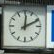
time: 12:10
